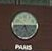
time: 5:14
